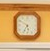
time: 5:34
